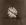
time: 3:48
